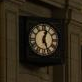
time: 12:26
